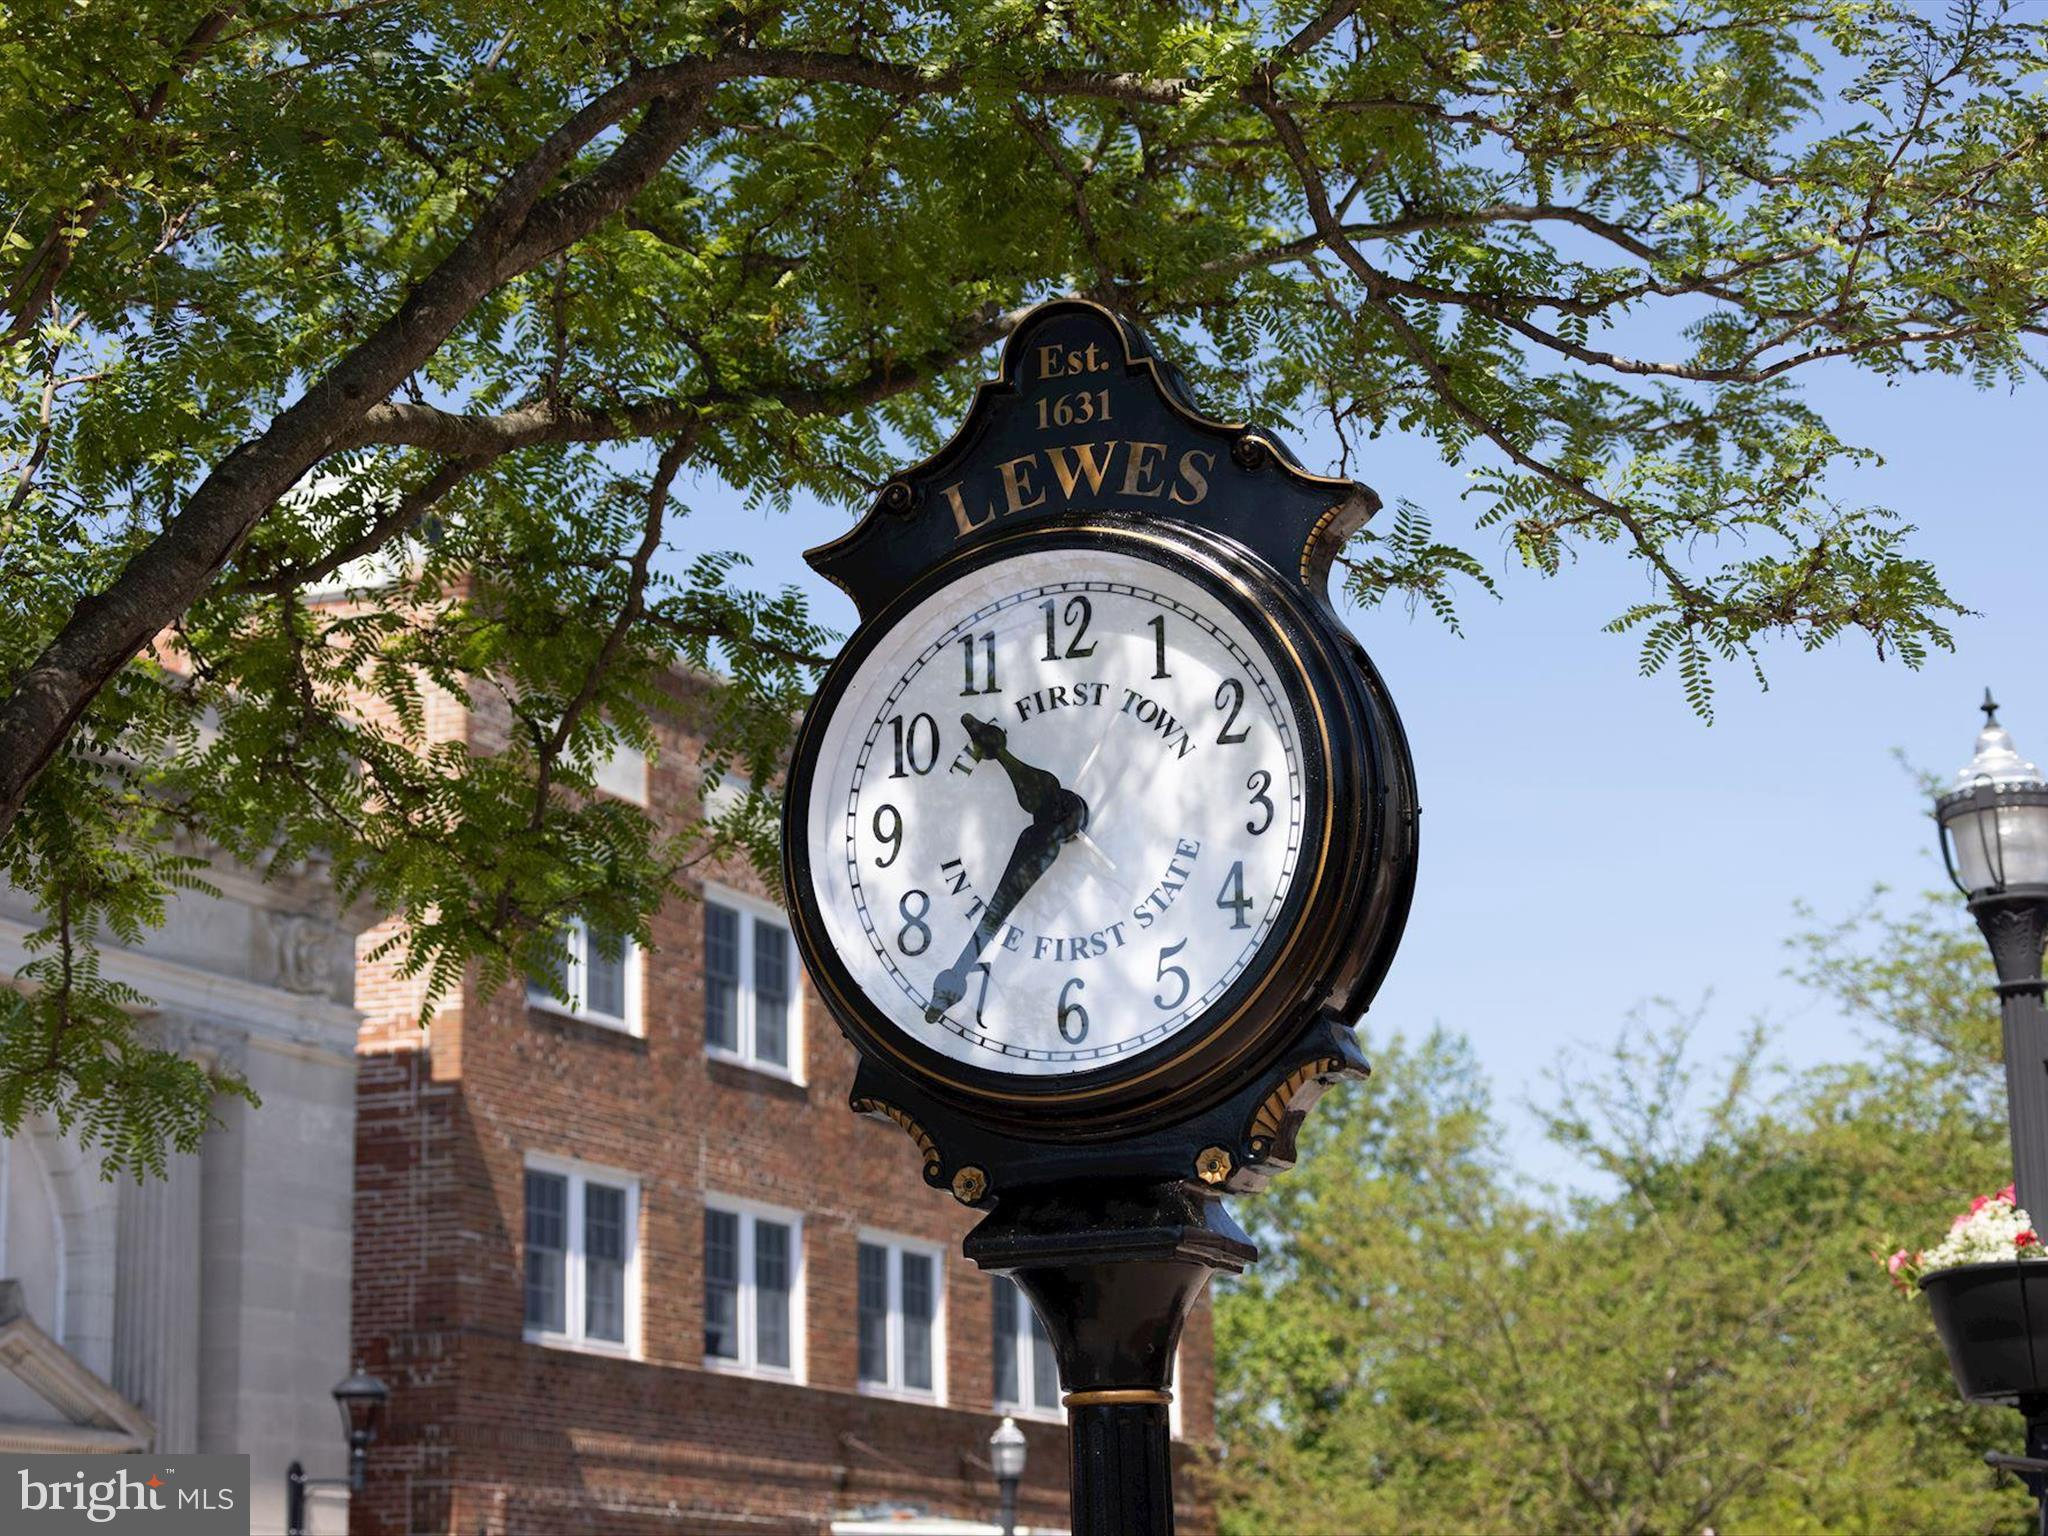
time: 10:36
